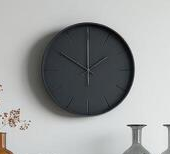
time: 1:50
